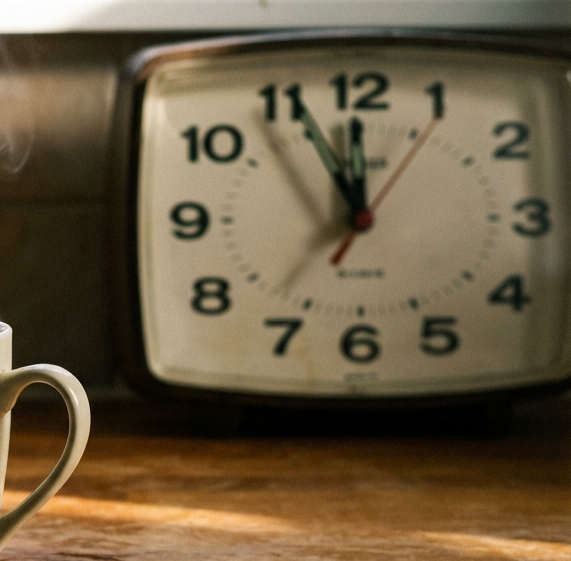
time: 11:55
